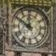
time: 11:50
